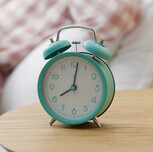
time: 8:01
